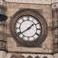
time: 1:39
